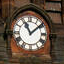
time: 11:08
